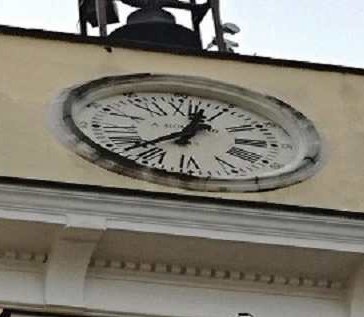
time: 12:37
